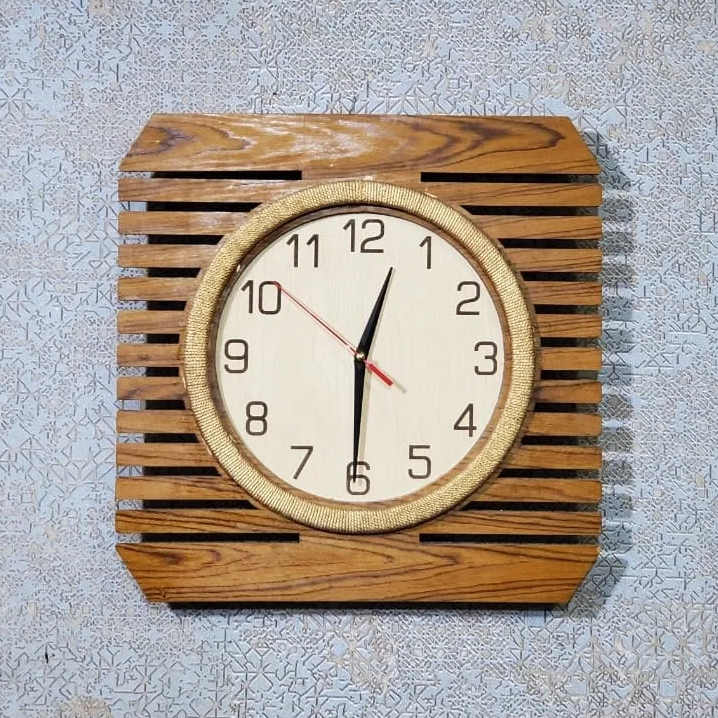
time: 12:30
